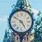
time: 4:50
